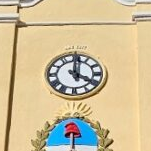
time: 4:00
